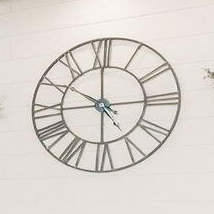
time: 10:14
